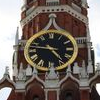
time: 4:46
